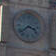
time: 3:38
